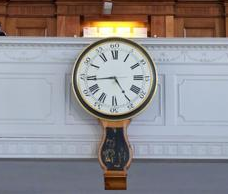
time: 4:43
